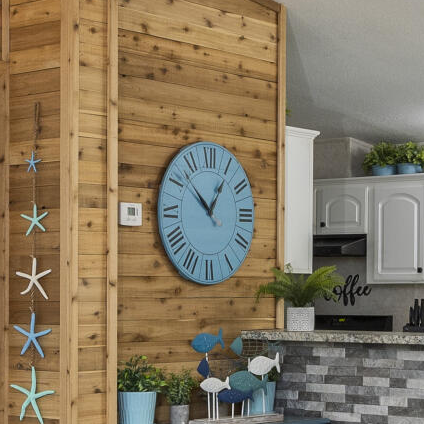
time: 12:52
